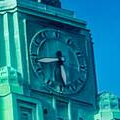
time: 5:43
